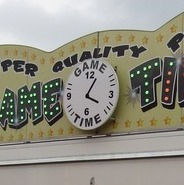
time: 4:04
